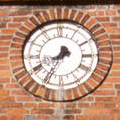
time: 8:35
